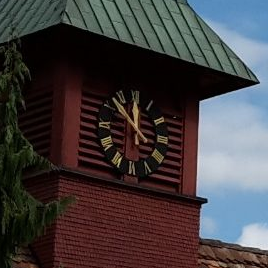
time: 11:52
